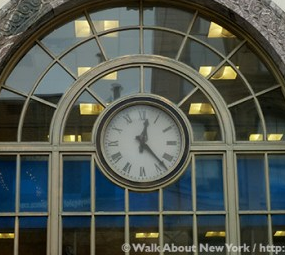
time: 12:23
